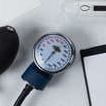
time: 1:37
